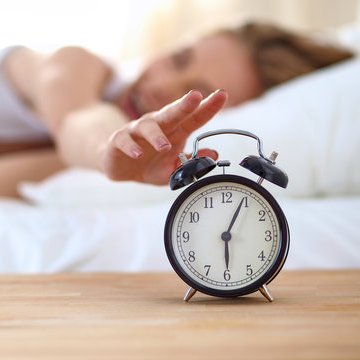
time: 6:04
